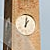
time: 1:01
